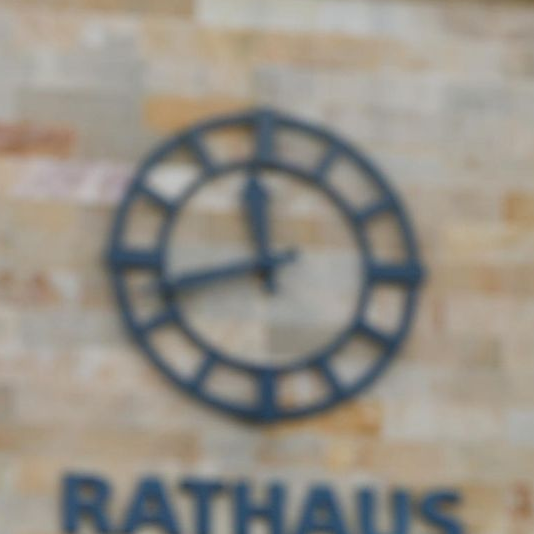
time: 11:42
